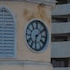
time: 6:08
